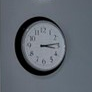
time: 3:13
